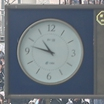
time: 10:47
